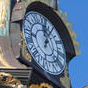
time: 12:06
